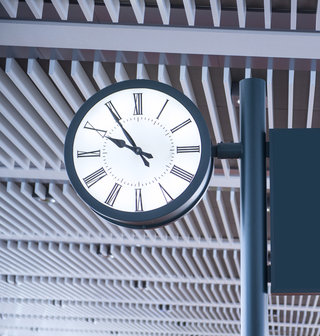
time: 9:54
